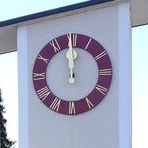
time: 11:59
